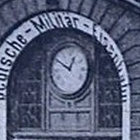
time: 12:49
